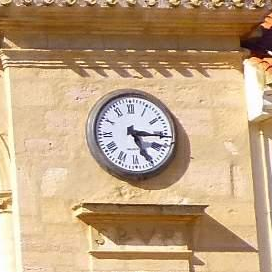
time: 5:15
